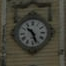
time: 10:26
